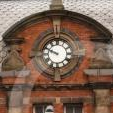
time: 9:48
